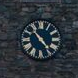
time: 10:23
